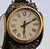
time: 6:10
